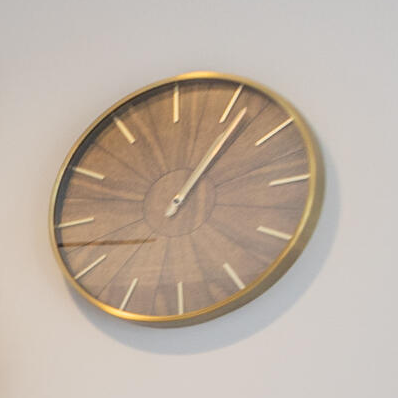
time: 1:06
